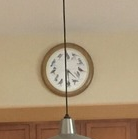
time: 5:59
